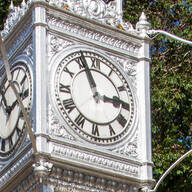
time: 2:56
